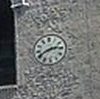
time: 2:40
